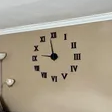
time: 11:46
